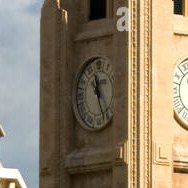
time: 11:25
